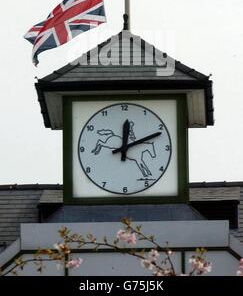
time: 12:11
